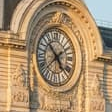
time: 4:52
